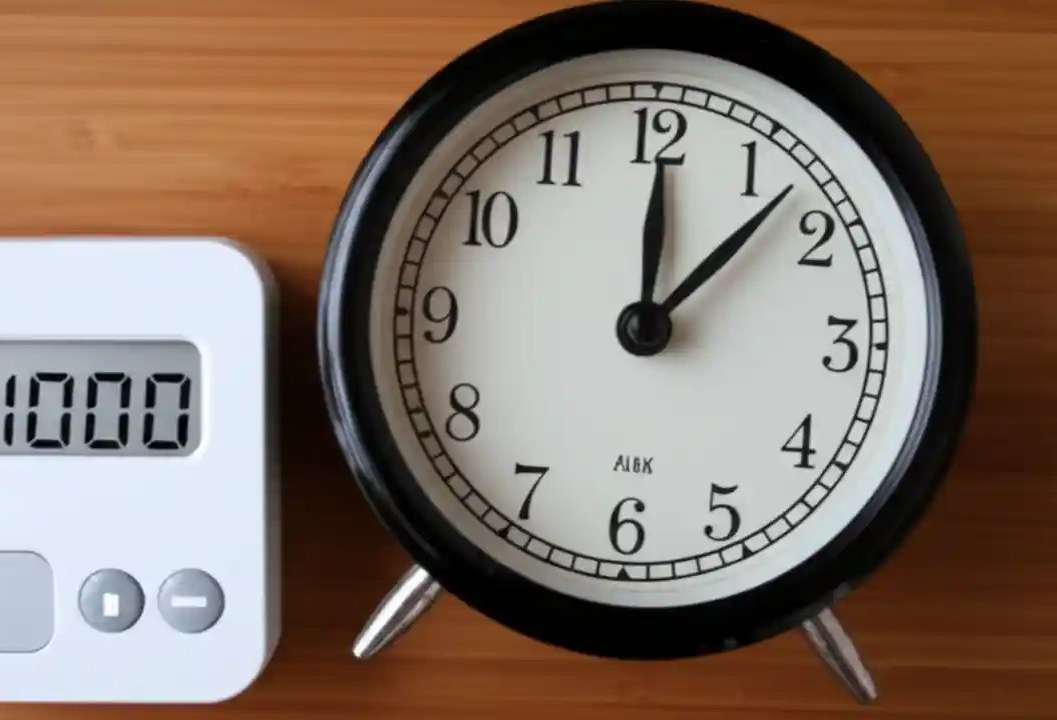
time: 12:07
